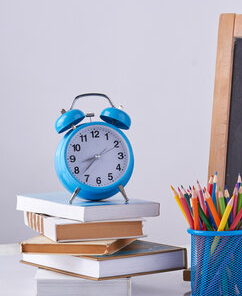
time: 8:37
